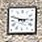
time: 2:48
